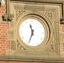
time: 11:33
